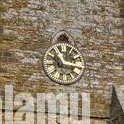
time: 11:16
